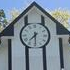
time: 7:29
